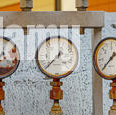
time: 12:37
